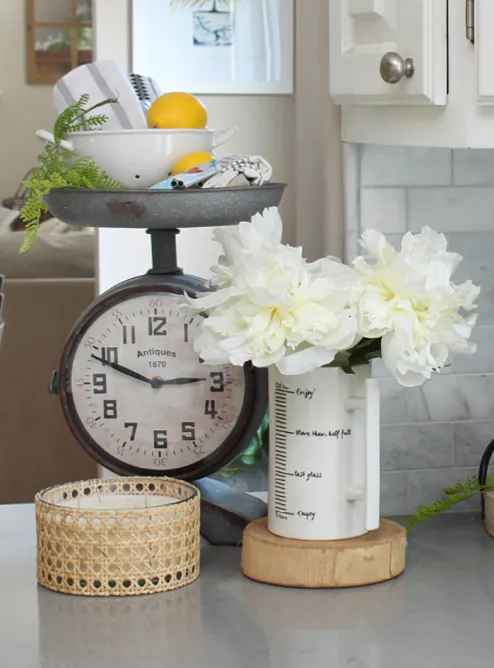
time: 2:48
